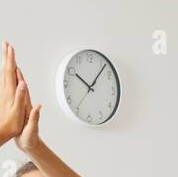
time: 10:06
